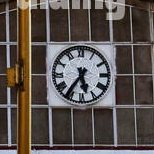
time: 5:36
